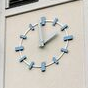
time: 1:59
